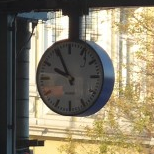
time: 9:55
